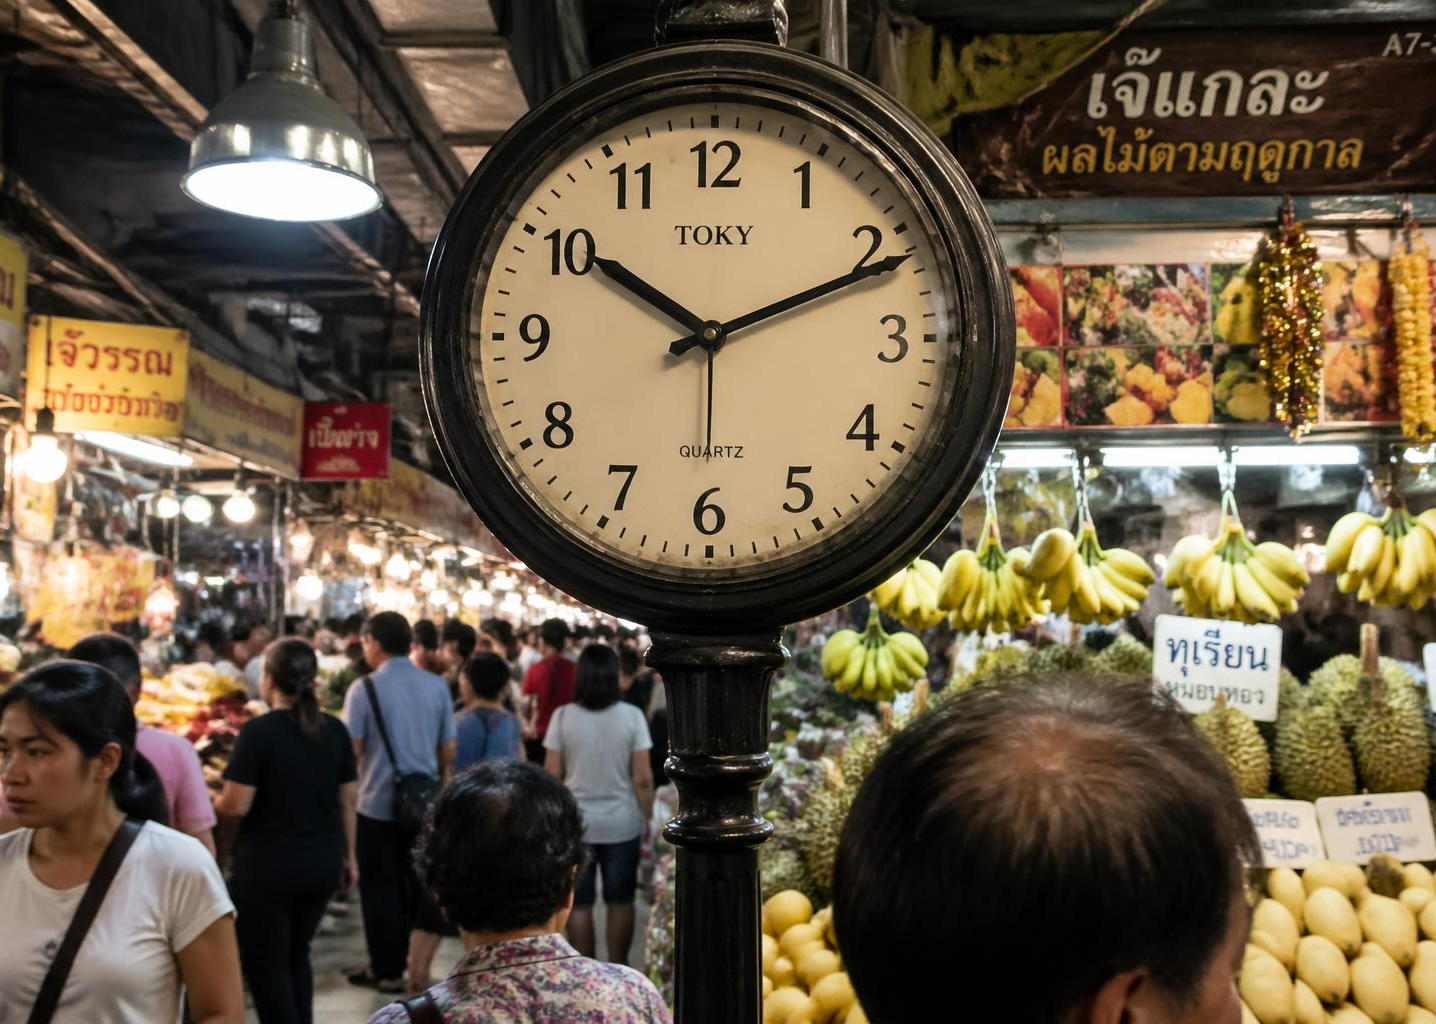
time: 10:11
